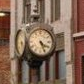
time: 4:26
